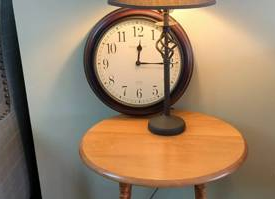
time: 12:14
